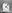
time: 4:07
